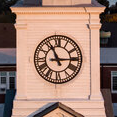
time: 11:14
